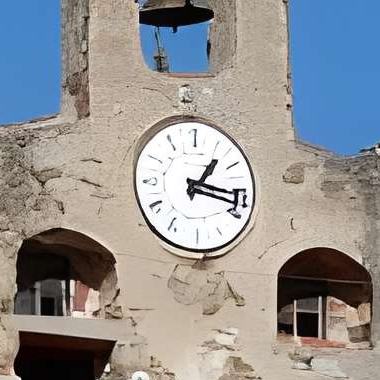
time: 1:17
